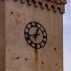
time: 12:42
